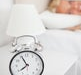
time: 7:55
